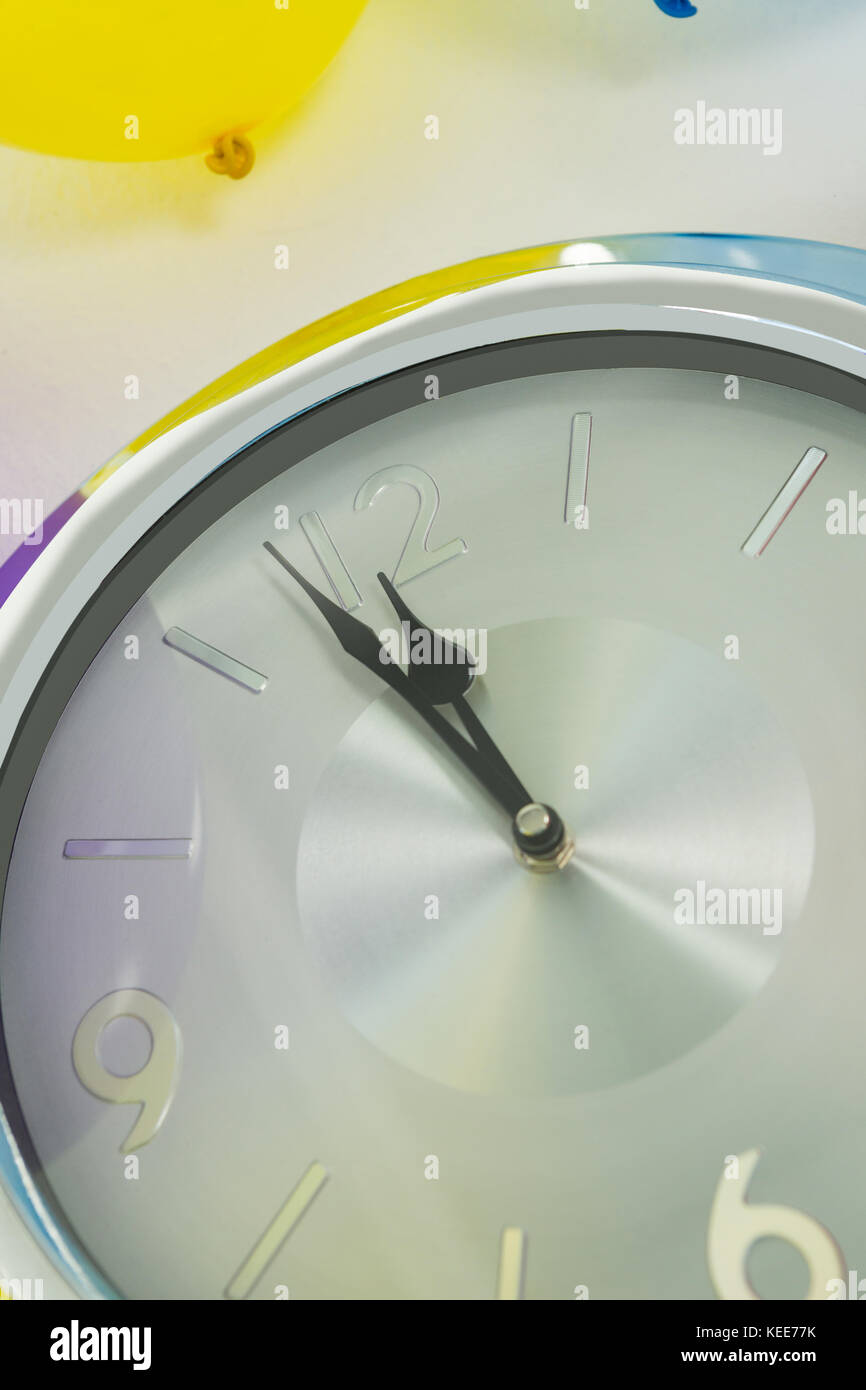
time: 10:53
